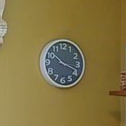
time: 10:18
